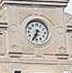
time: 6:34
